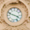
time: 3:48
